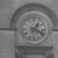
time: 1:18
